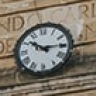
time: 10:14
